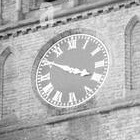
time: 3:50
